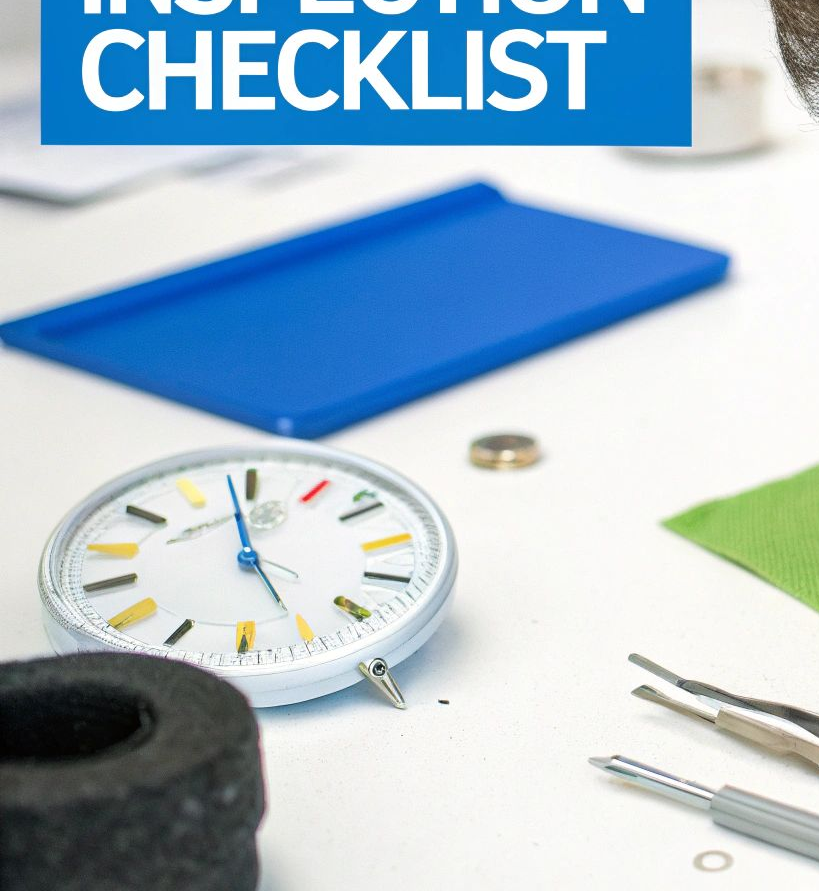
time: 4:58
